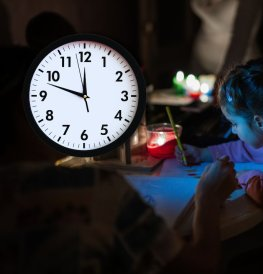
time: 11:47
